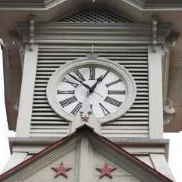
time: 12:52
